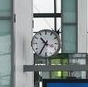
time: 10:35
